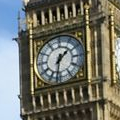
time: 1:32
